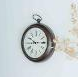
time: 10:14
